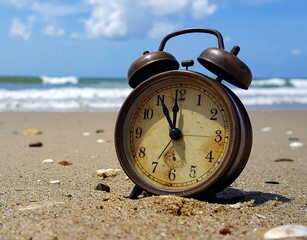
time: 11:55
